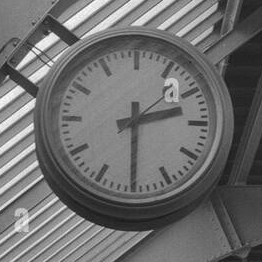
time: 2:30
